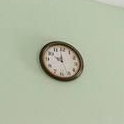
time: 9:59
